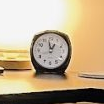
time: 12:58
